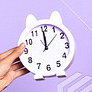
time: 11:59
